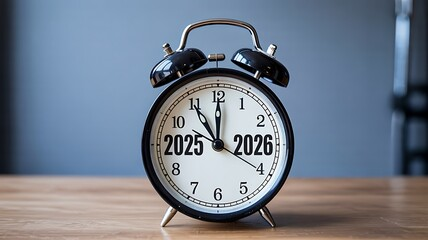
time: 11:00
